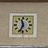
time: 11:33
